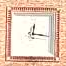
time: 12:16
